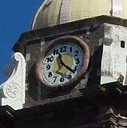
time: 11:21
